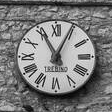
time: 11:04
